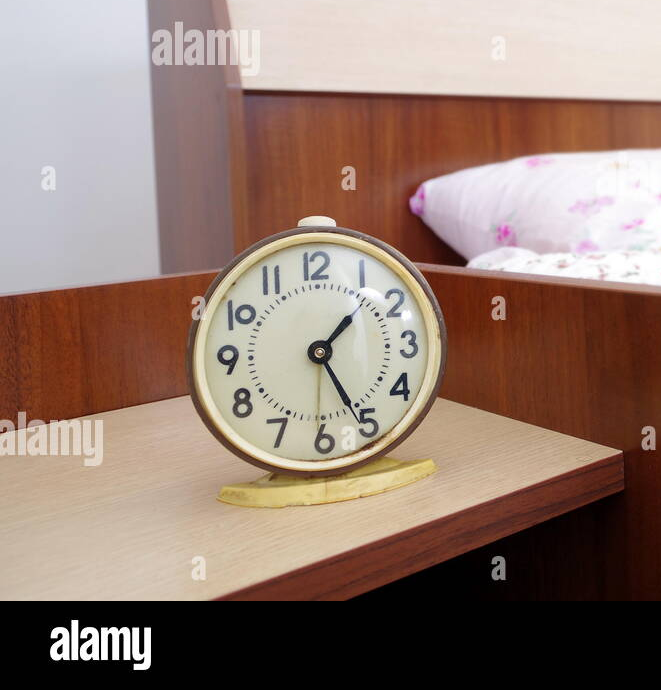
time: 1:25
